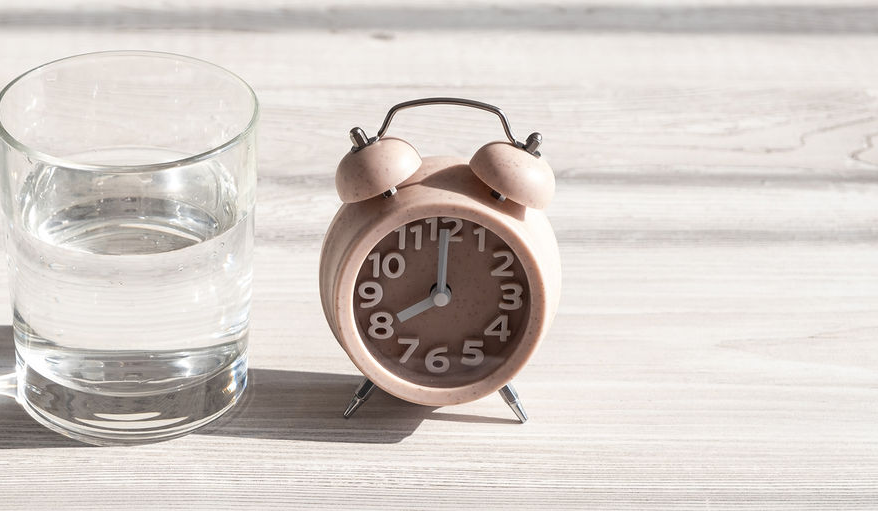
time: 8:00
